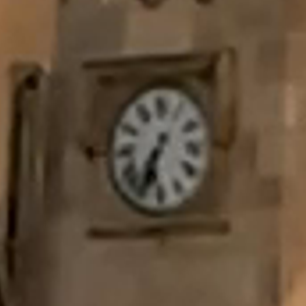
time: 6:34
